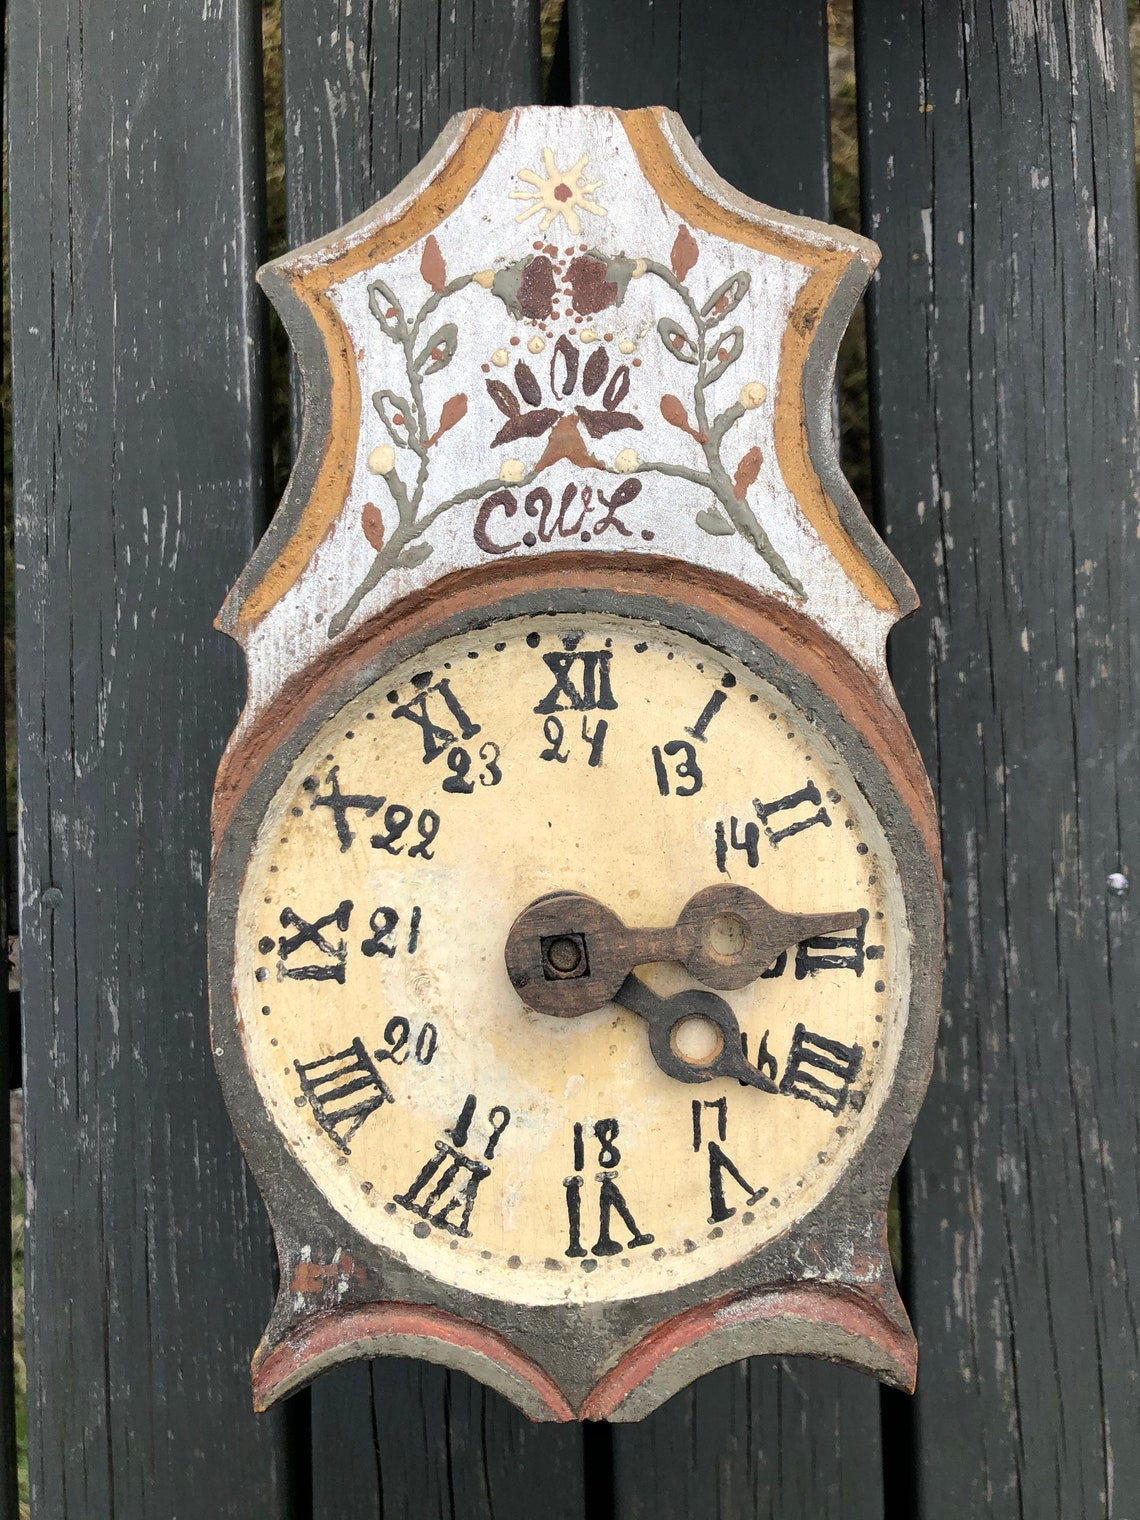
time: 4:14
